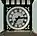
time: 7:14
